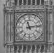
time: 11:13
